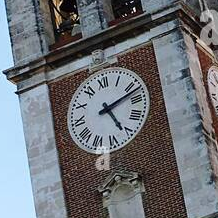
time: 5:12
